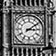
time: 3:09
